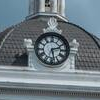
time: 2:28
